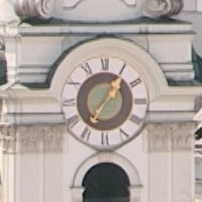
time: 1:35
